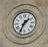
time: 1:34
